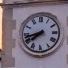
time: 7:42
